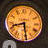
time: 8:28
